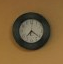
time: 7:21
